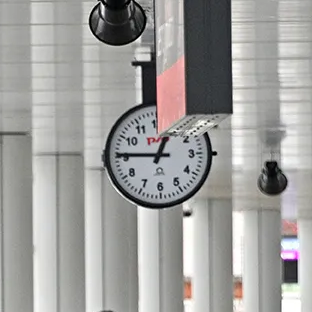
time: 12:45
